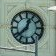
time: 12:37
